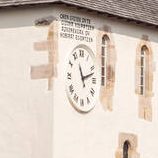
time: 11:12
